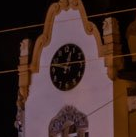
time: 12:47
